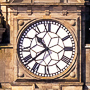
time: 10:38
